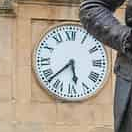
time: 5:38
